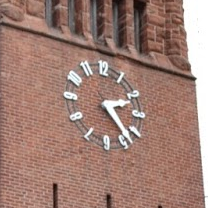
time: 2:23
